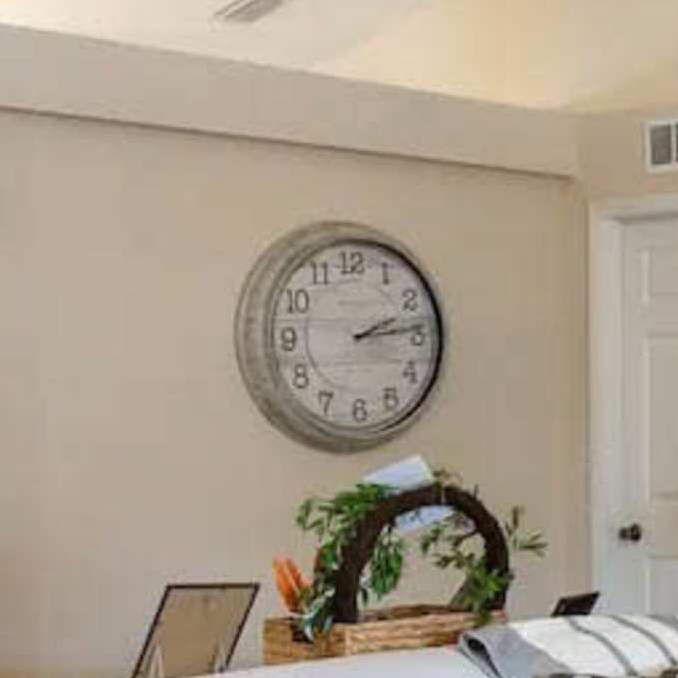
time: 2:13
